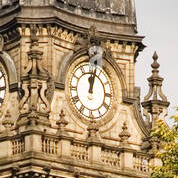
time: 12:02
